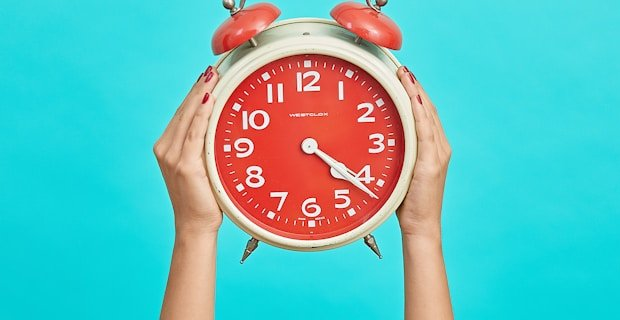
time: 4:21
